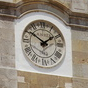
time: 1:50
